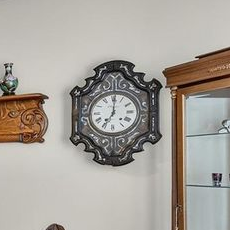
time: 7:00
